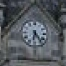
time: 6:23
